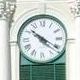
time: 10:20
